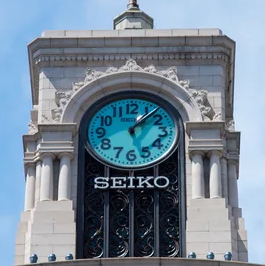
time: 1:07
